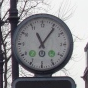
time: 11:06
